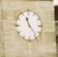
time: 11:23
